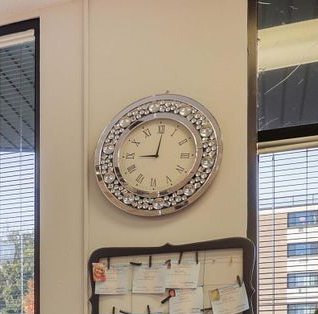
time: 9:01
